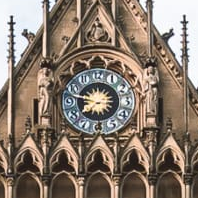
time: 7:47
